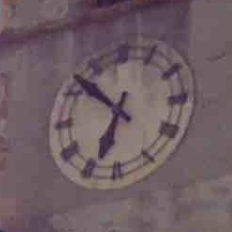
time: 6:52
